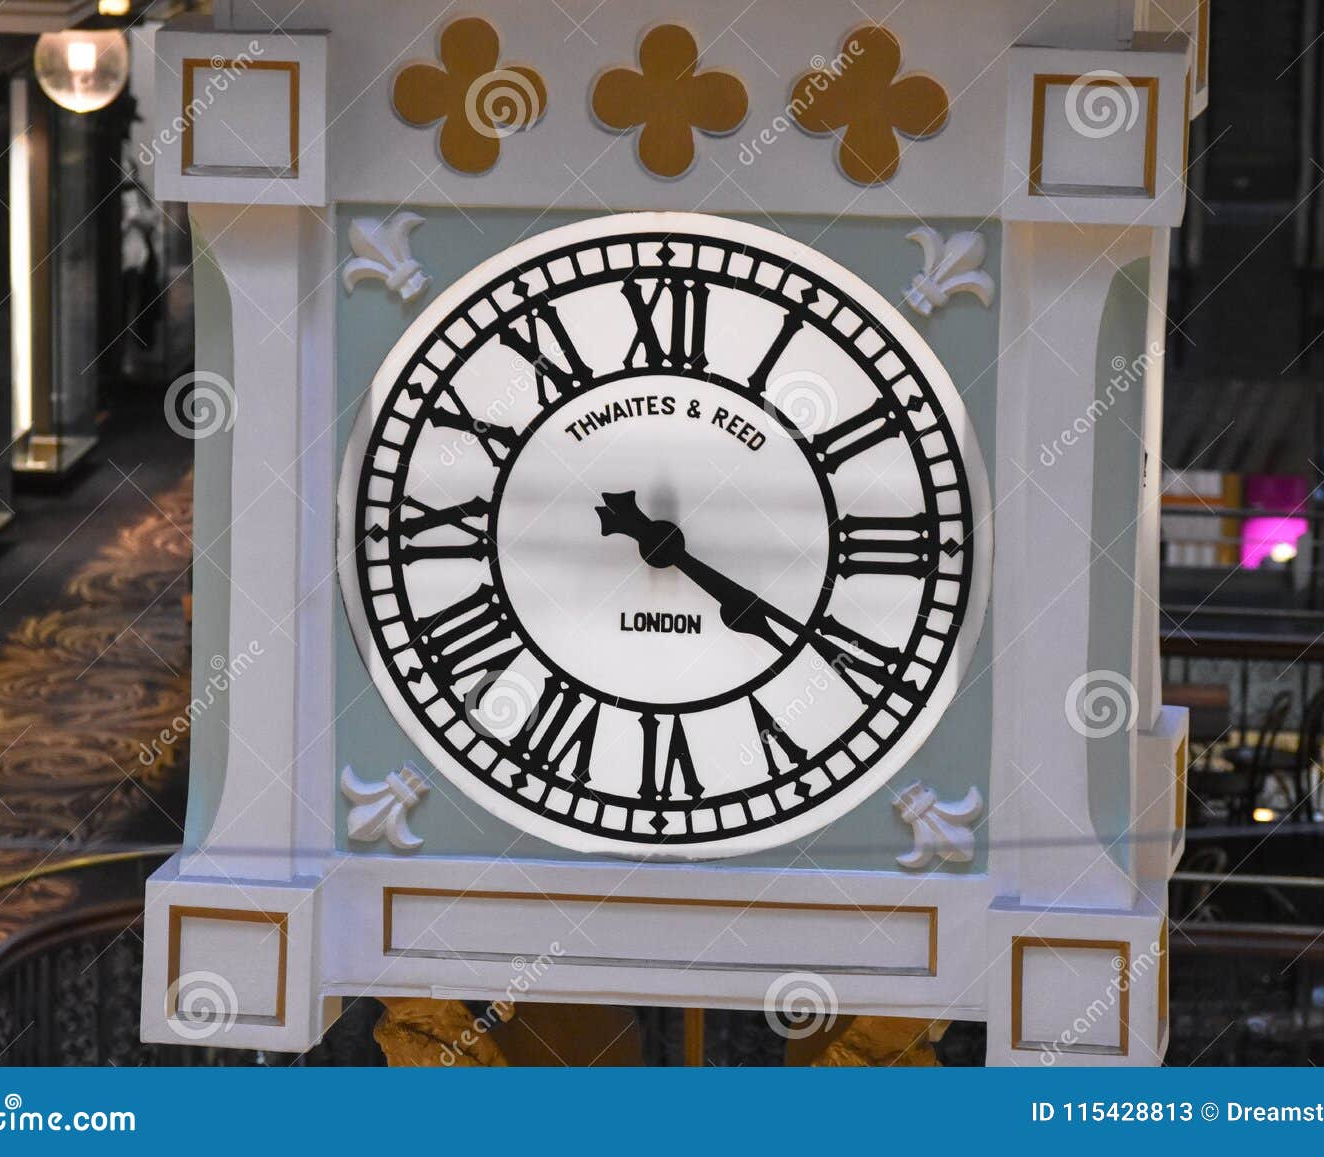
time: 4:19
